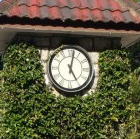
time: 5:01
